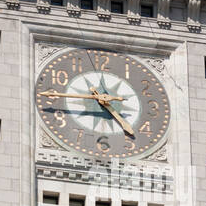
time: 4:42
